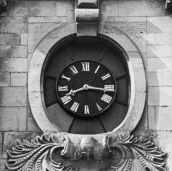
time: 8:16
